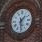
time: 1:28
